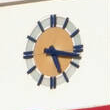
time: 5:16
